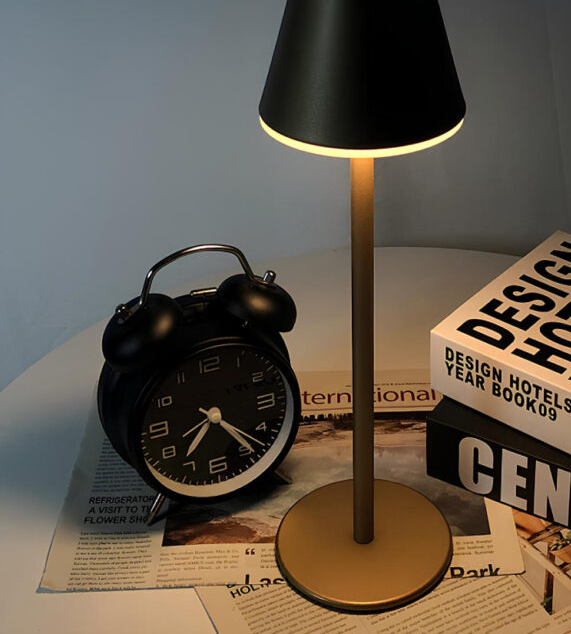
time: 7:23
